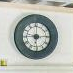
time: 9:14
